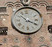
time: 3:52
